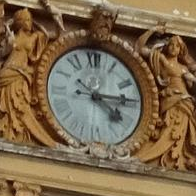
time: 4:14
